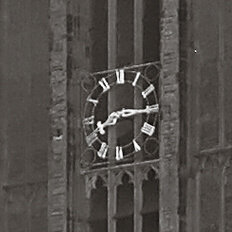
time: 8:15
